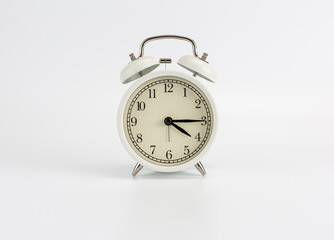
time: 4:14
